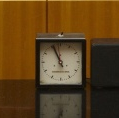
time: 10:56
